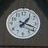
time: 1:18
